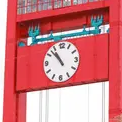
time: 10:52
